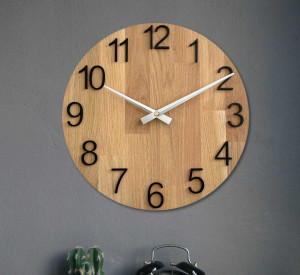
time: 10:10
